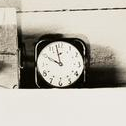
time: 9:57
